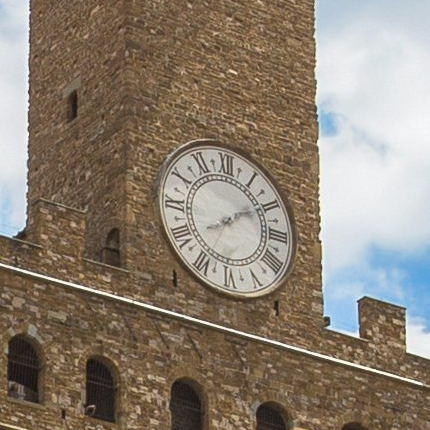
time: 8:09
